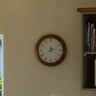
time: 12:11
